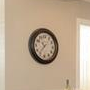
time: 10:36
